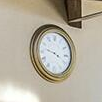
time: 3:47
